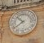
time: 10:39
